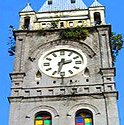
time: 2:32
